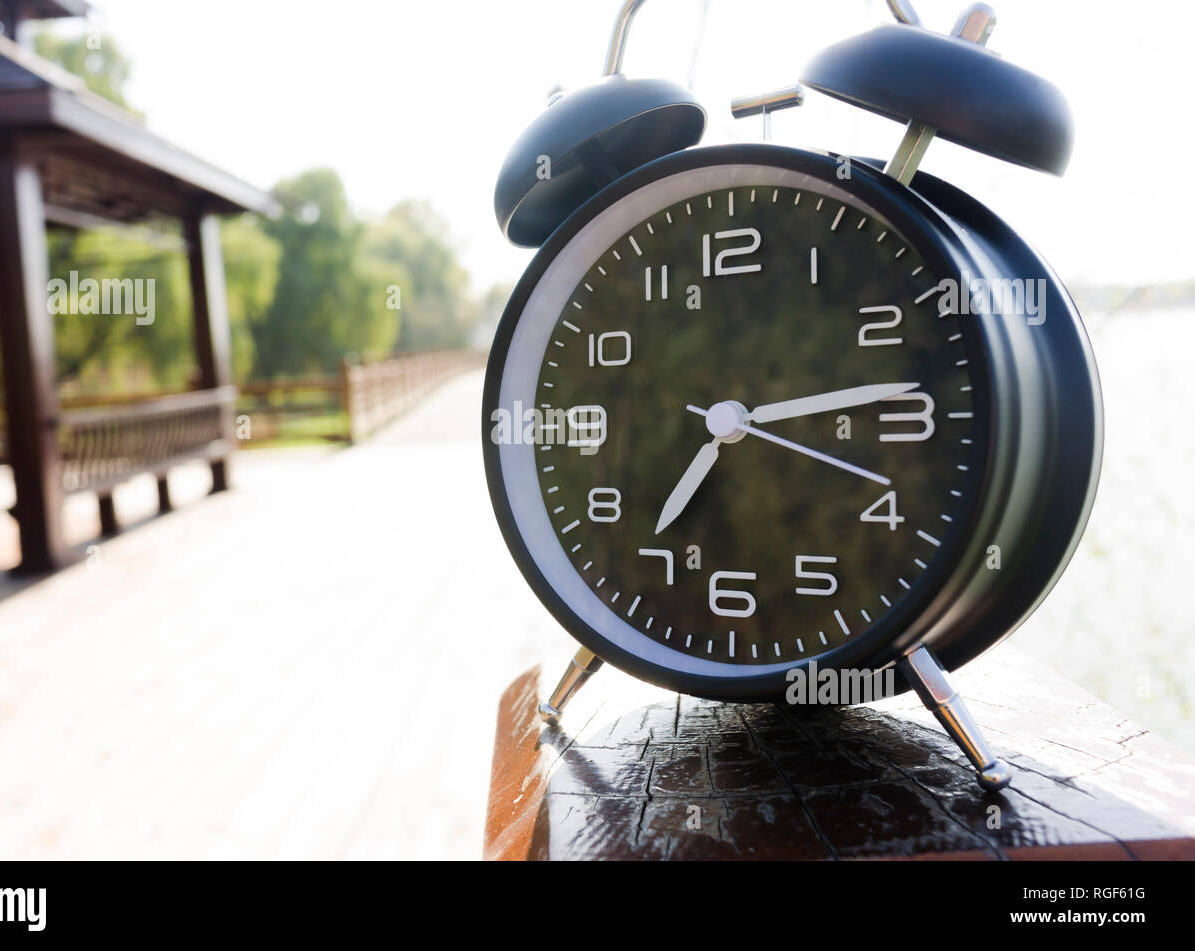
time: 7:13
